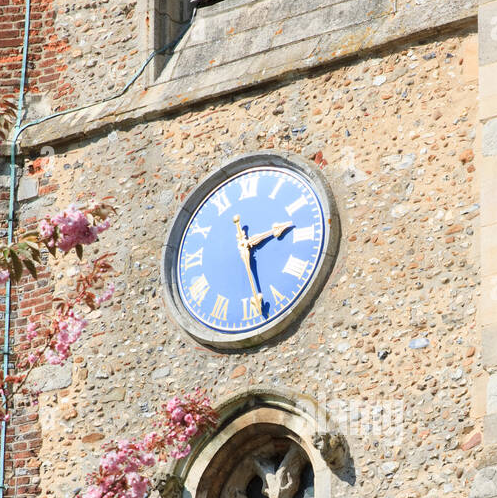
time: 2:26
